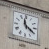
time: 11:20
